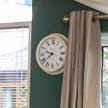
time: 9:38
